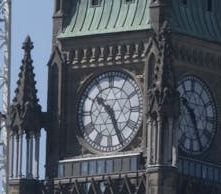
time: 10:25
